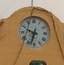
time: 9:33
